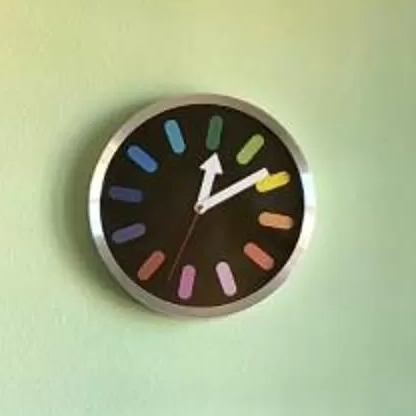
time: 12:08
